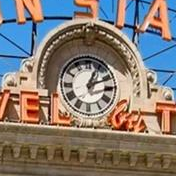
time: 1:11
